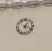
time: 1:18
